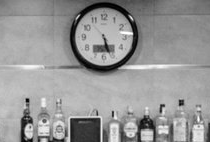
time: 5:26
